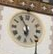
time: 5:55
